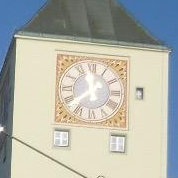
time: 11:37
